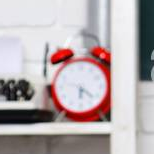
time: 6:21
